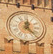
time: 12:23
